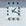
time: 1:18
